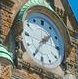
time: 1:35
